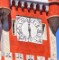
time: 6:00
